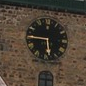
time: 5:45
